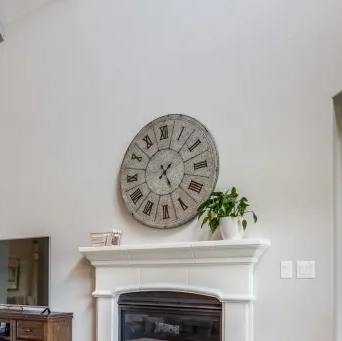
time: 1:26
